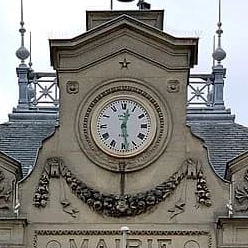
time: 12:28
